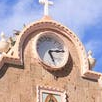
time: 5:13
